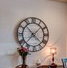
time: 7:22
